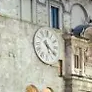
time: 5:20
